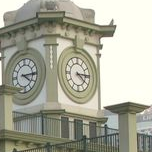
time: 4:14
